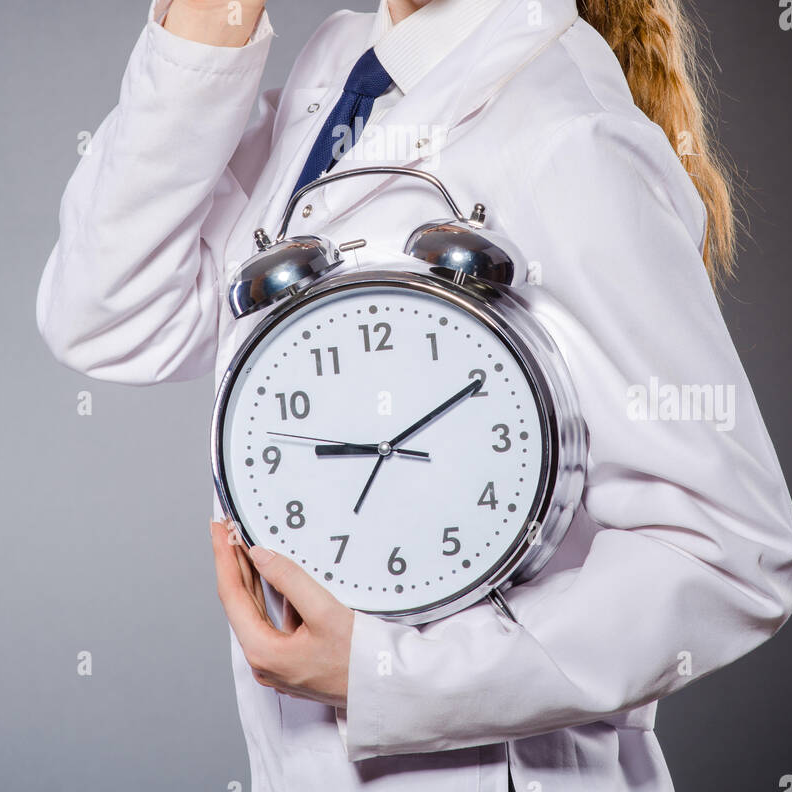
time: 9:10
